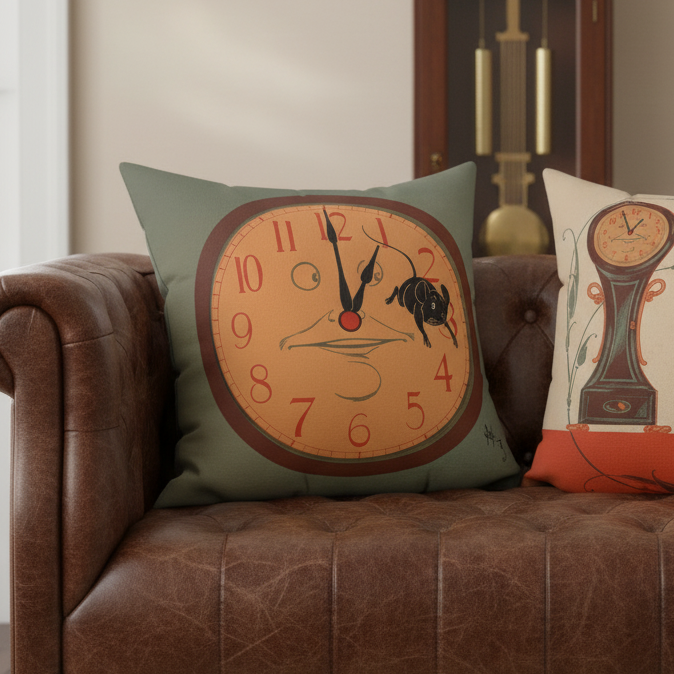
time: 1:00
